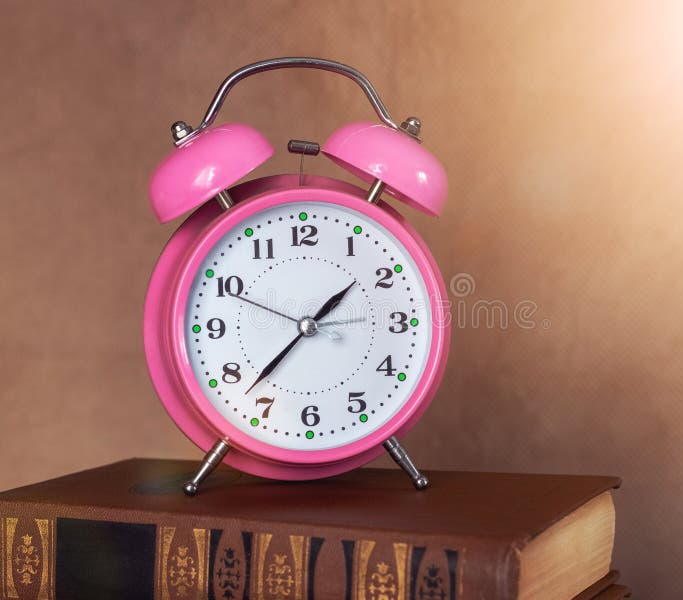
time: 1:37
